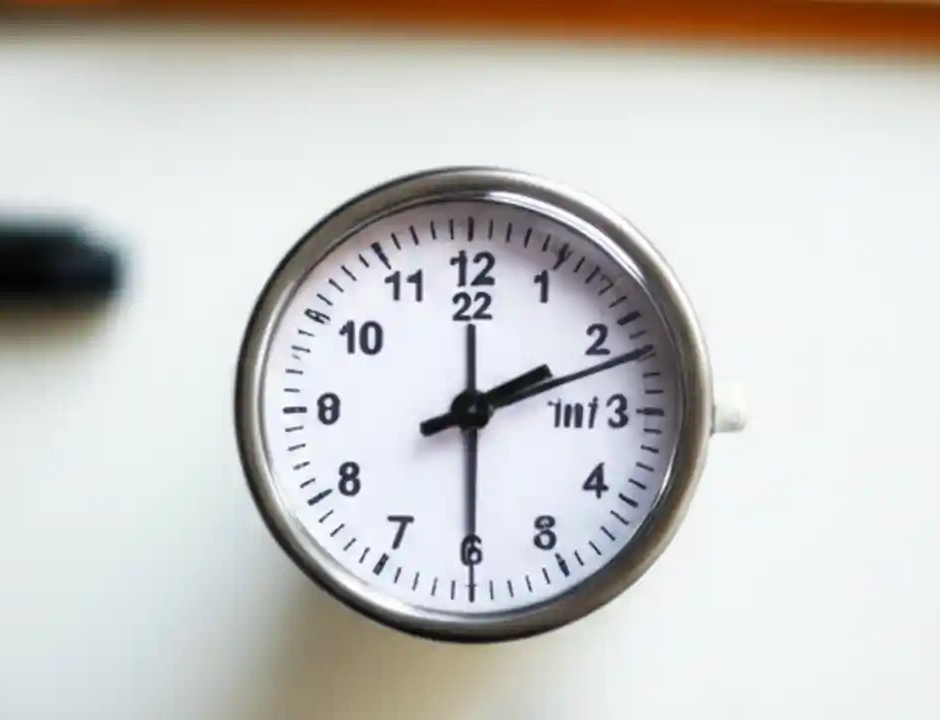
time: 2:11
